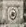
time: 4:37
